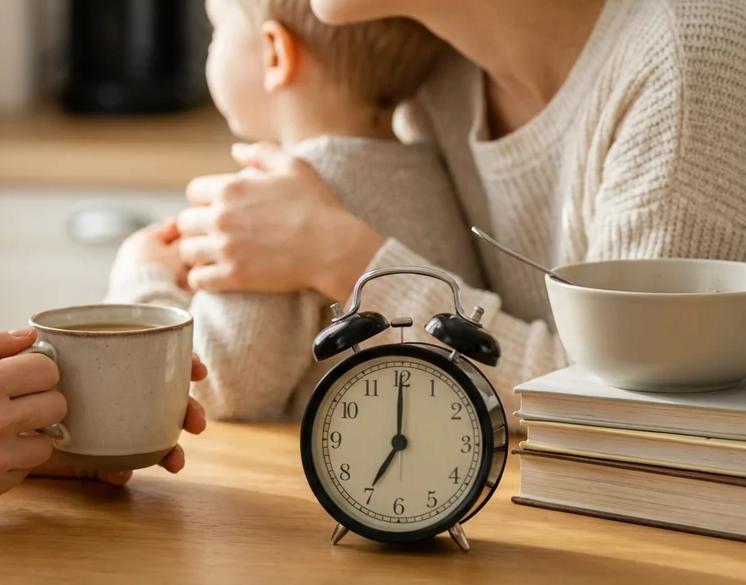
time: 7:00
